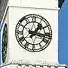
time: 1:16
